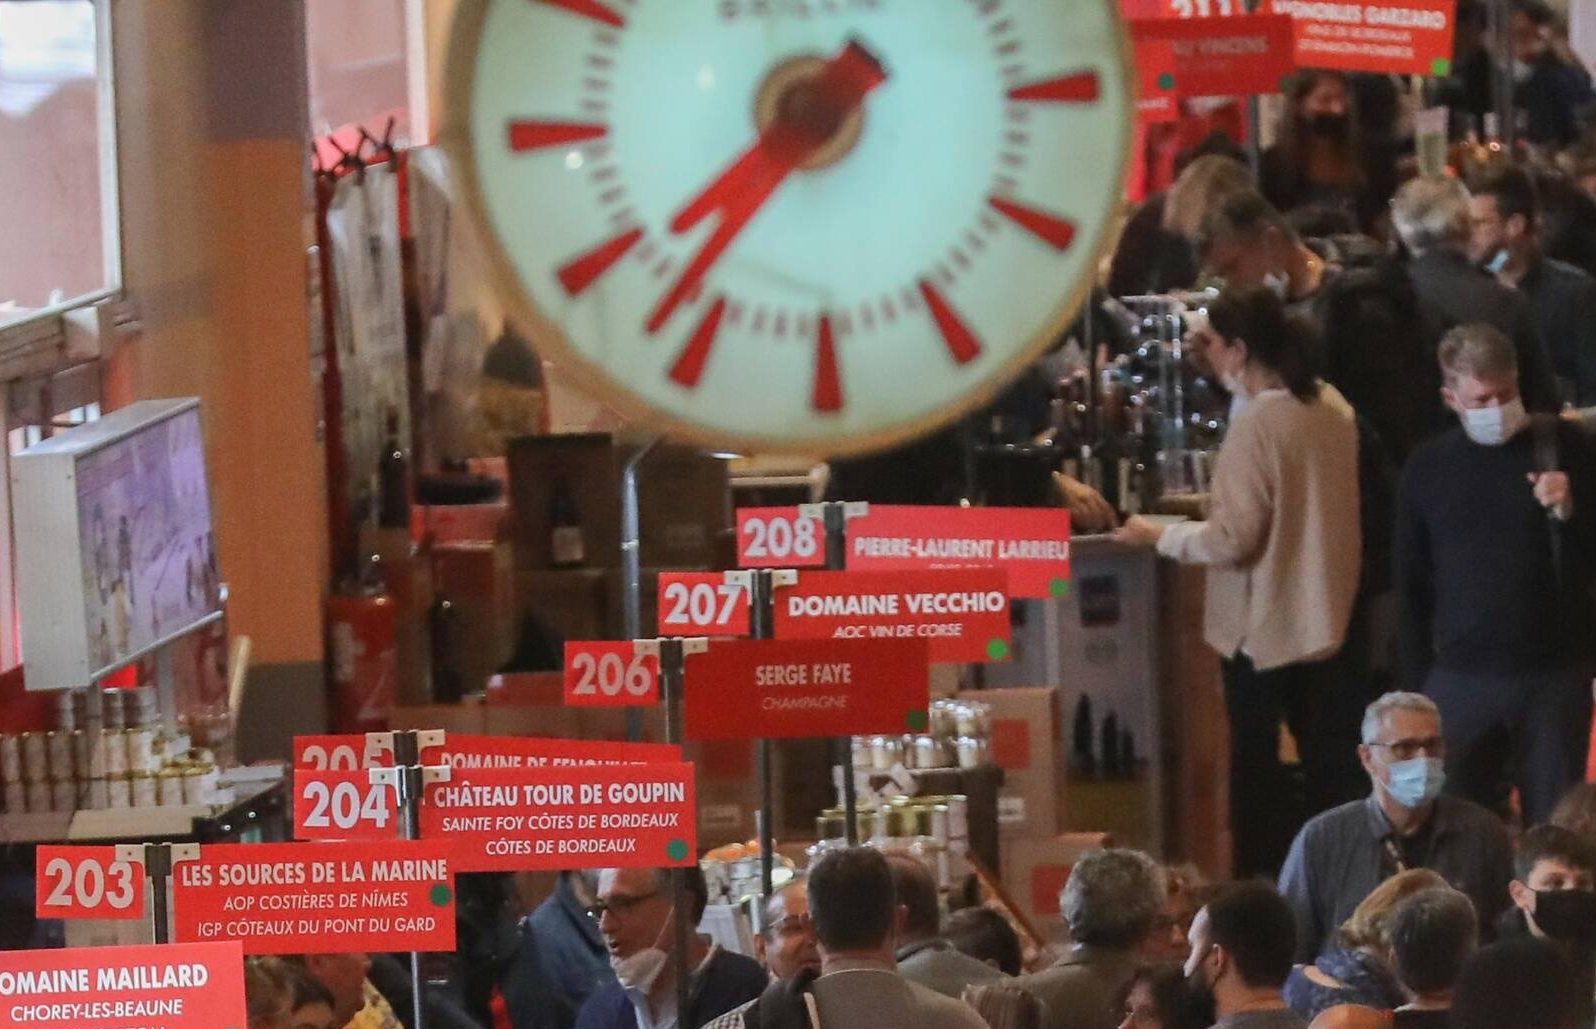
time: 7:36
